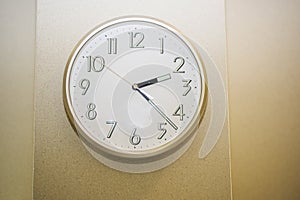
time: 2:22
